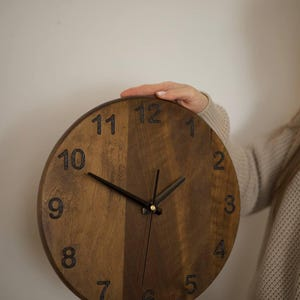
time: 1:49
